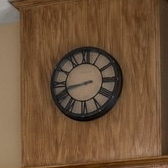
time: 8:42
